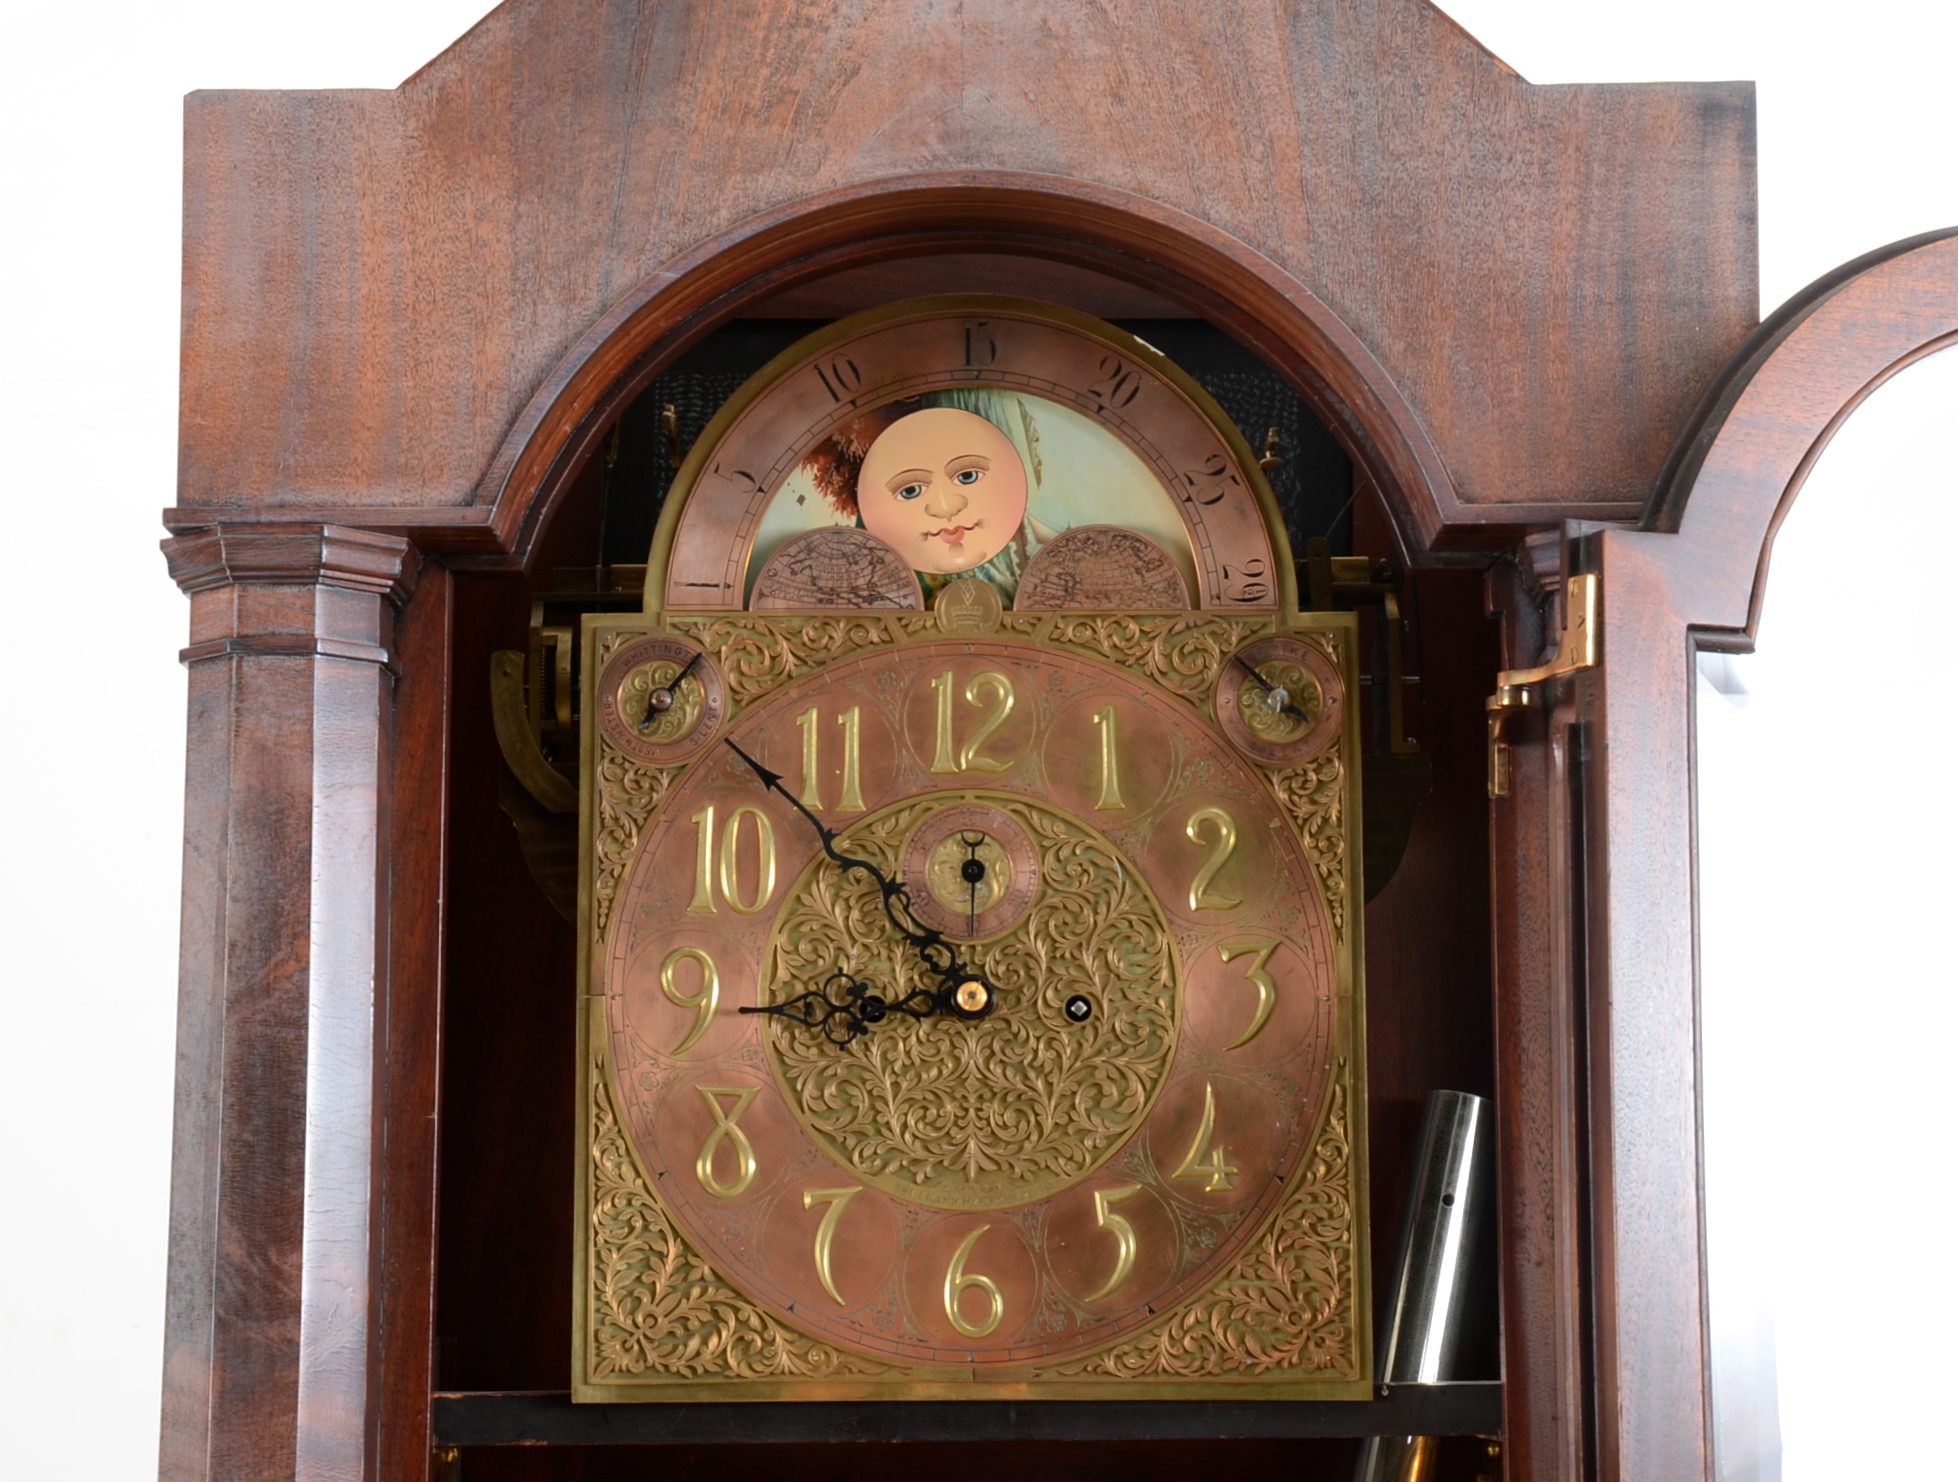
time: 8:51
